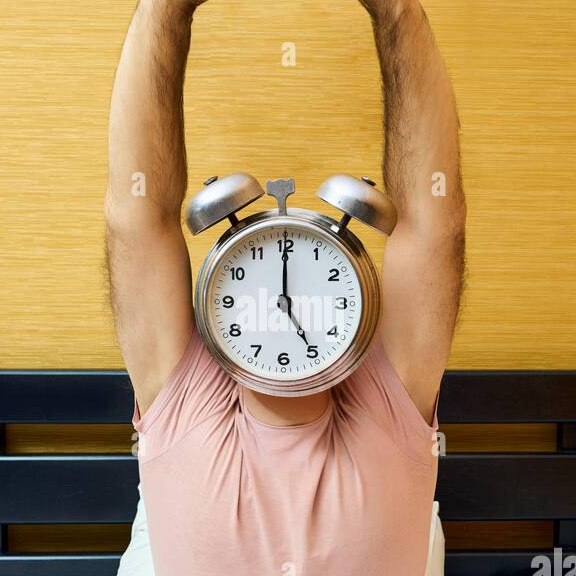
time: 5:00
